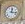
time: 12:16
